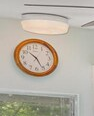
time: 10:25
